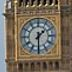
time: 1:30
